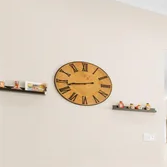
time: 8:42
